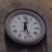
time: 12:26
